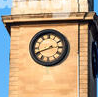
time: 2:41
